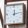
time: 12:12
